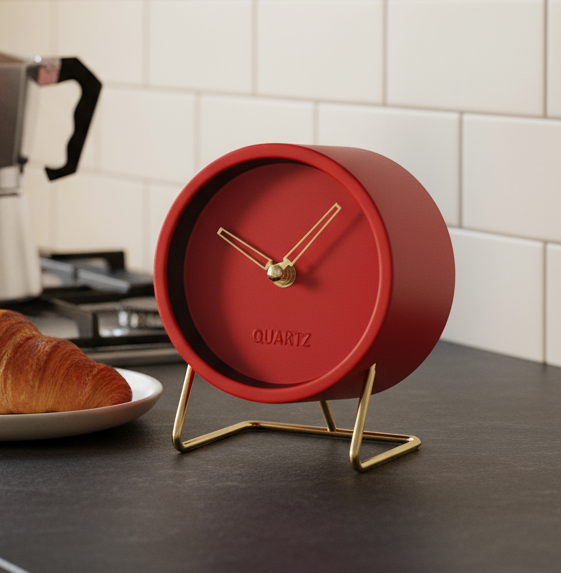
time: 10:07
